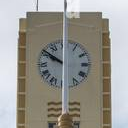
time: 9:50
